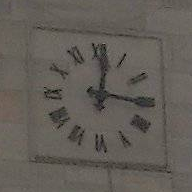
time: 12:16
